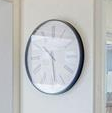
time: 10:28
